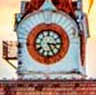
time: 3:25
